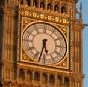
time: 5:32
